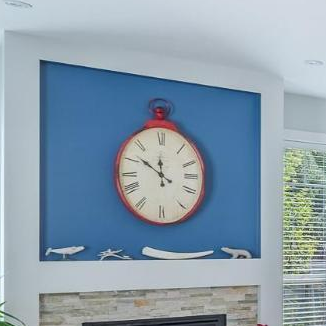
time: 11:51
